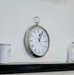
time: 12:05
